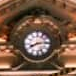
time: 8:14
